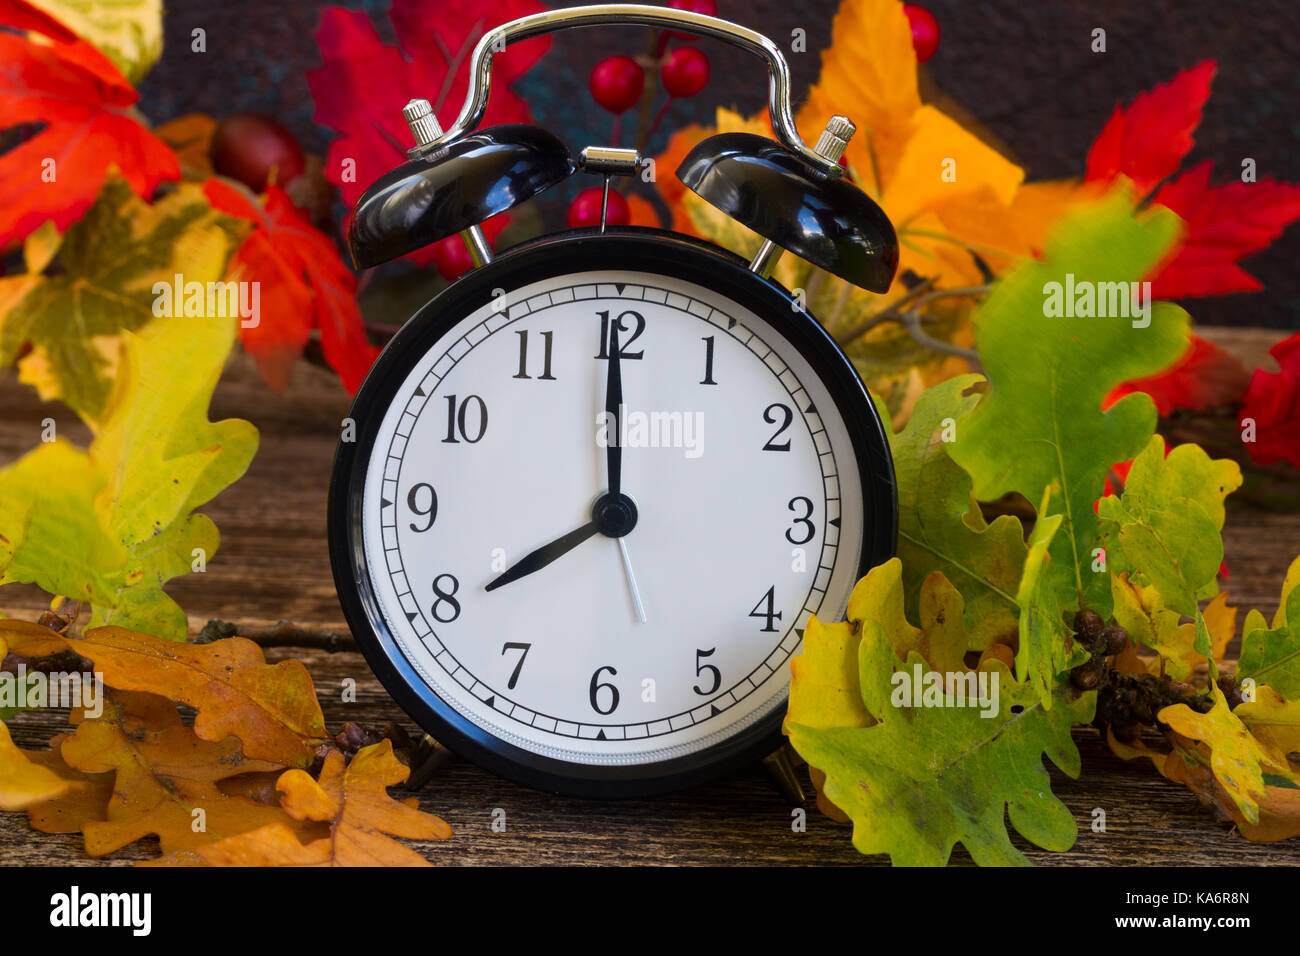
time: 7:59
